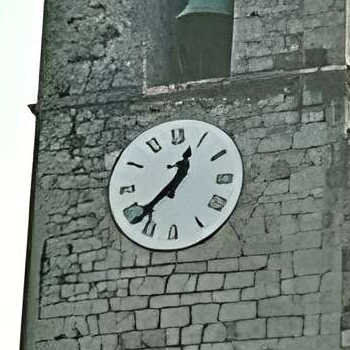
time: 12:37
